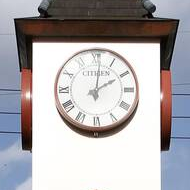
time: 2:01
